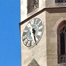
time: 5:26
